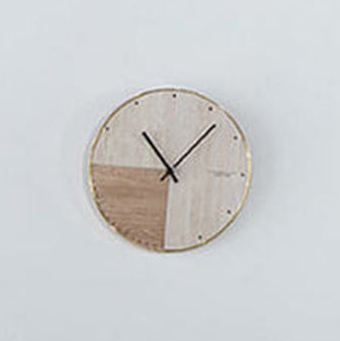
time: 11:07
